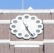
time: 5:26
